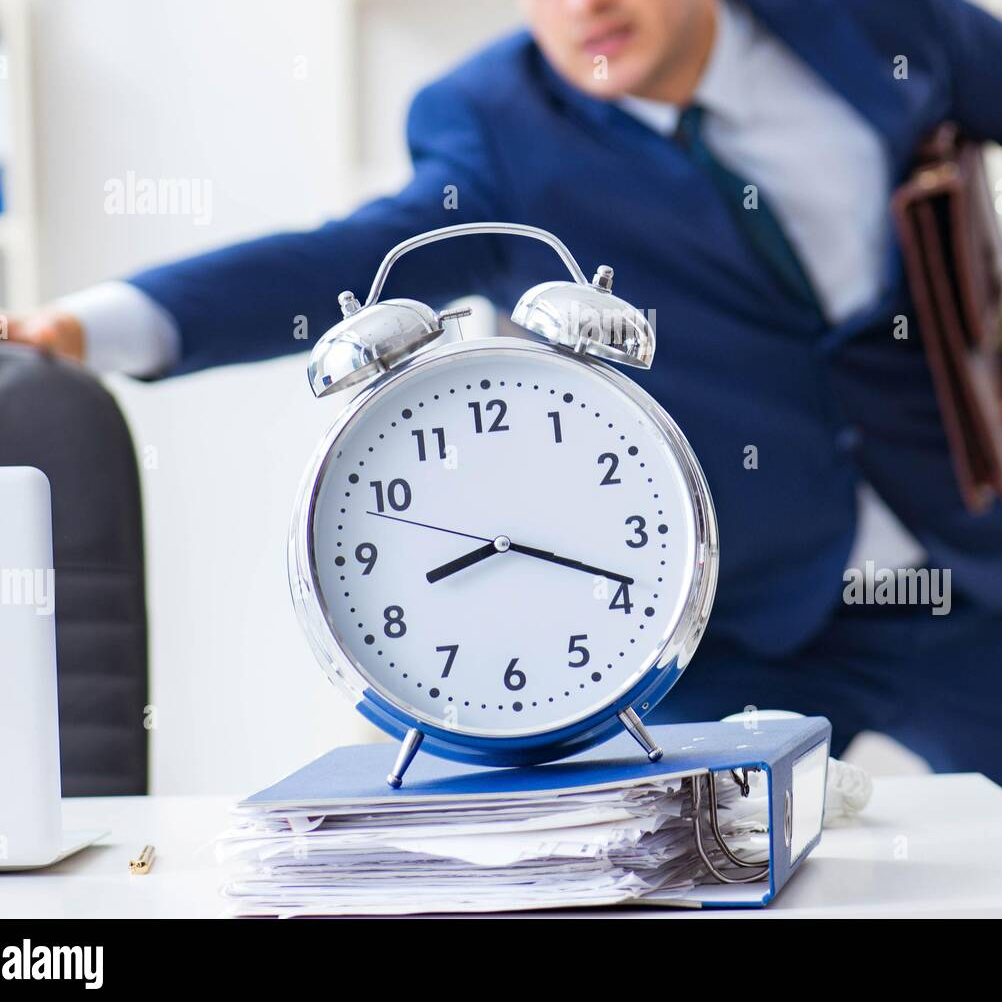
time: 8:18
